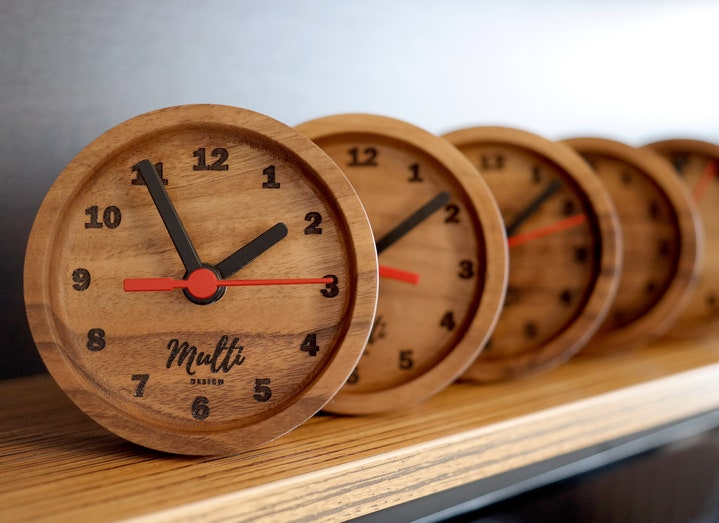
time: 1:55
